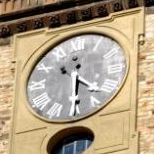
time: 4:30
